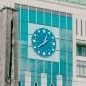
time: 12:39
